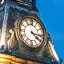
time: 4:16
